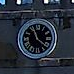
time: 11:21
